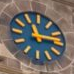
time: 11:13
